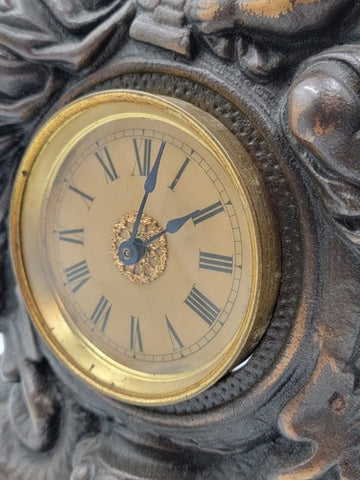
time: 2:02
